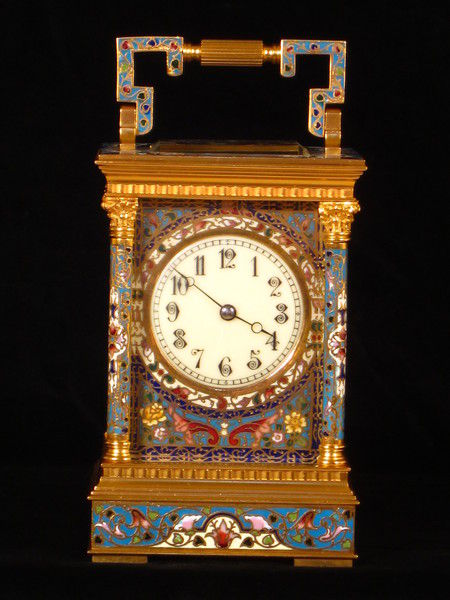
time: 3:51
